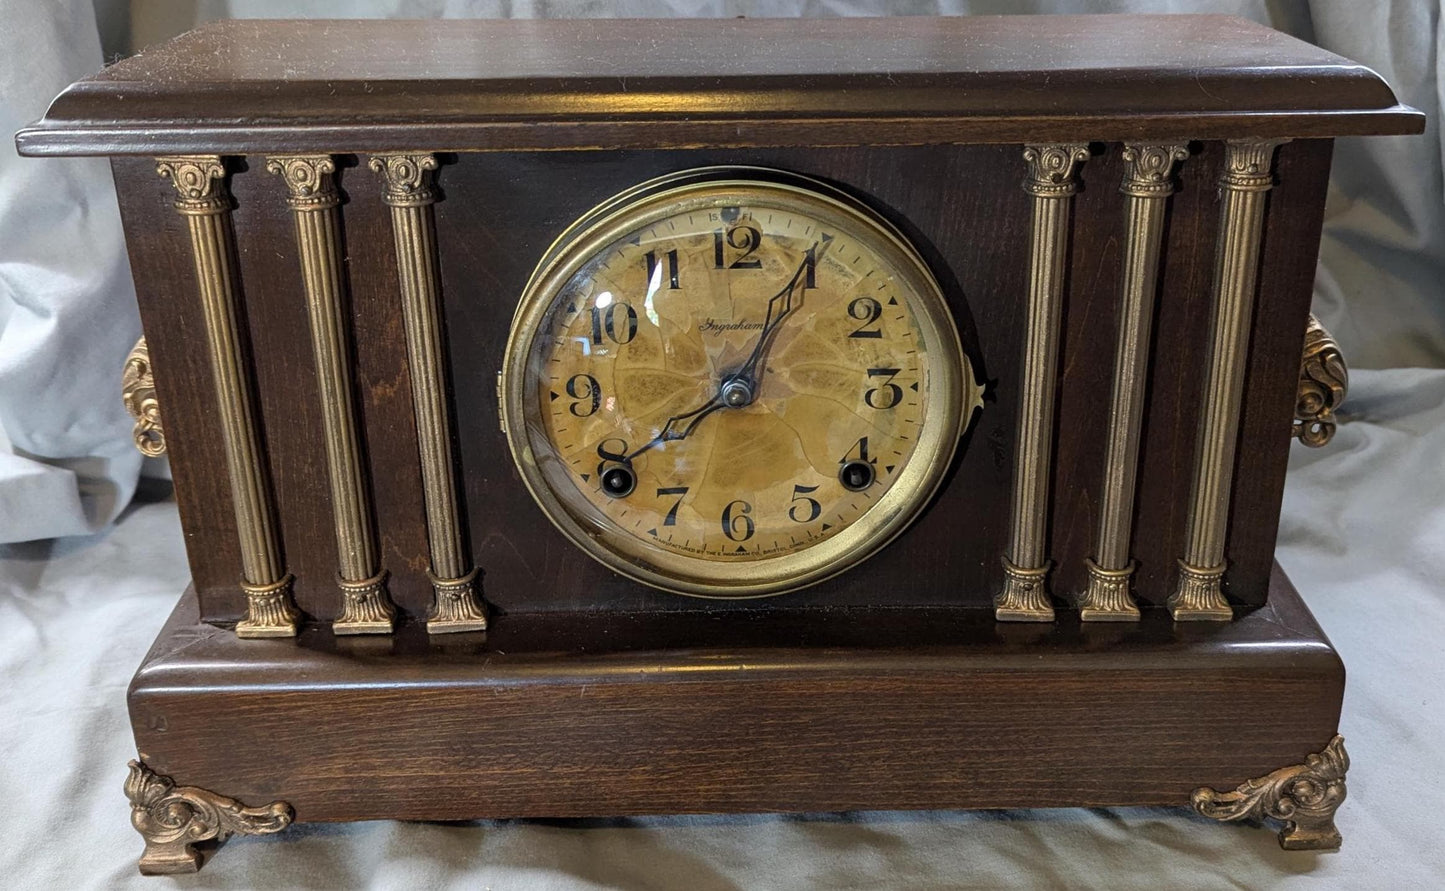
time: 8:04
